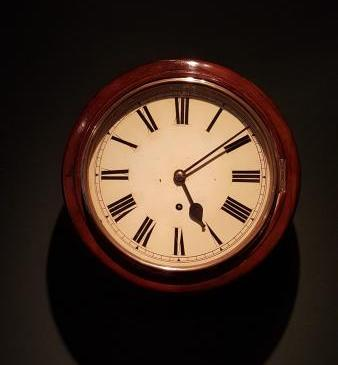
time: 5:09
